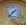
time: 1:36
